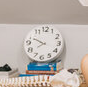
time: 7:49
